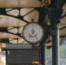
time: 7:24
